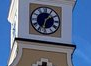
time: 1:32
